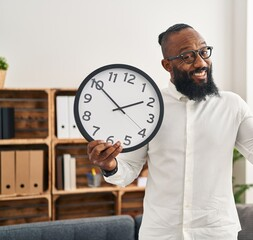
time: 1:50
